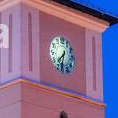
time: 7:32
